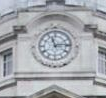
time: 11:13
